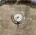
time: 8:36
